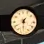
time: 7:30
